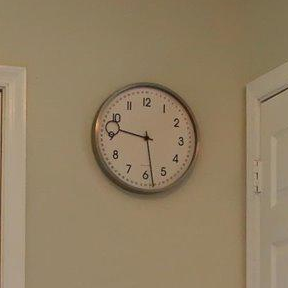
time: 9:28
